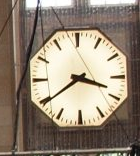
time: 3:39
